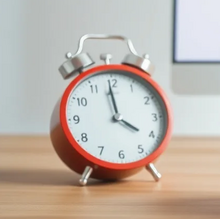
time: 3:59
